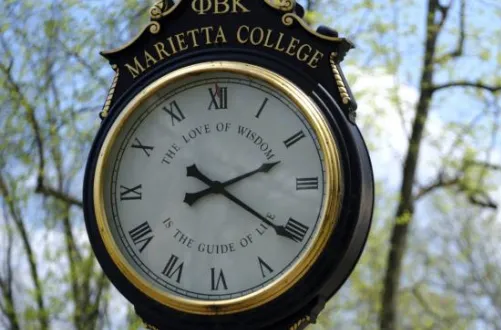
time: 2:20
